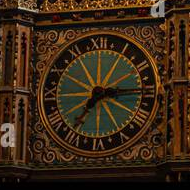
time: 7:14
